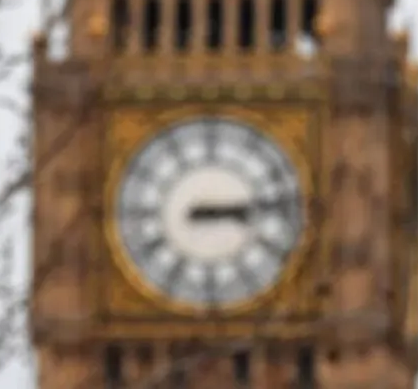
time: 3:13
